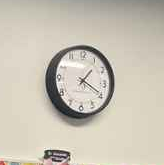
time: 1:19
